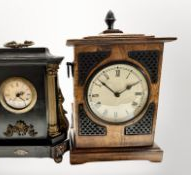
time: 1:51
